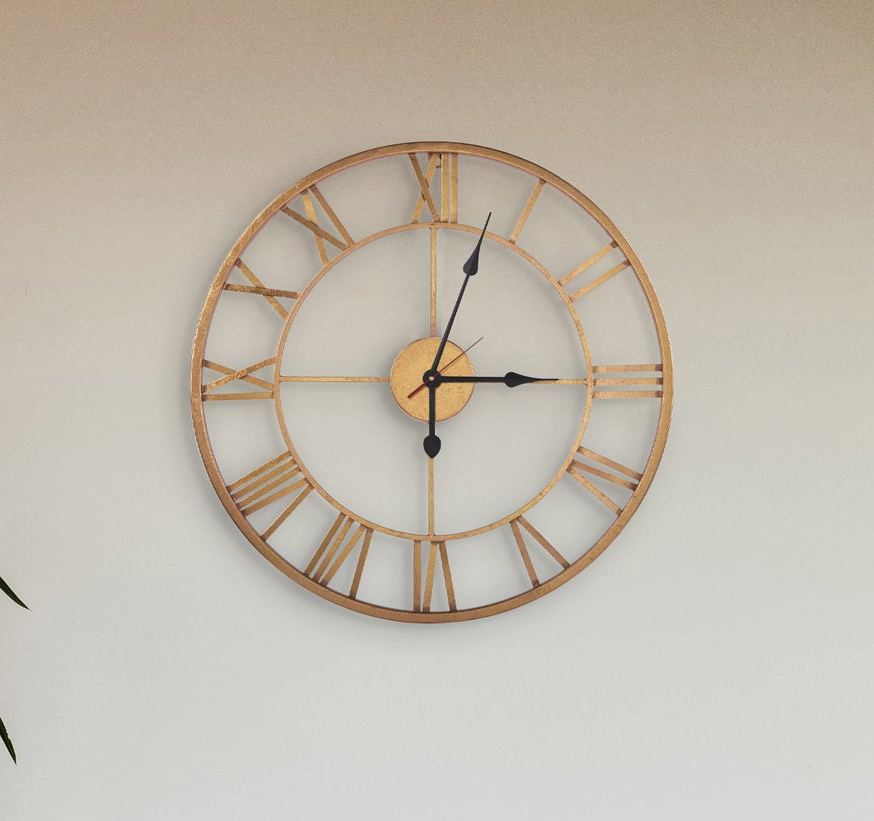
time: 3:03
